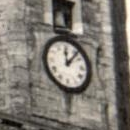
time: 12:07
